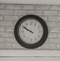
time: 9:50
